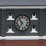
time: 10:36
